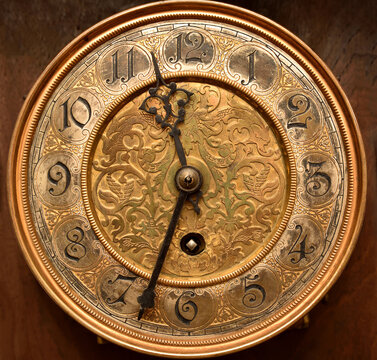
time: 11:33
